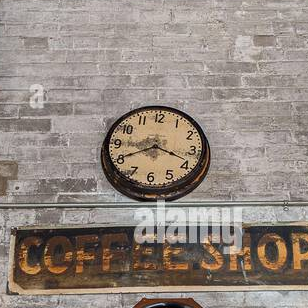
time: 3:40
